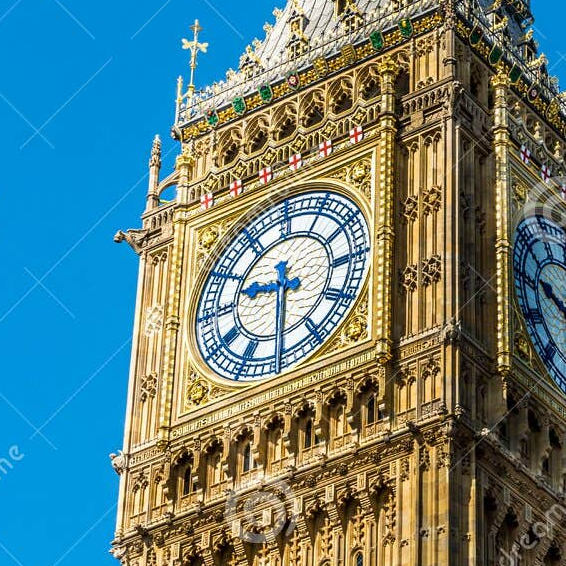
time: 9:30
